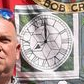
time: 7:59
